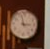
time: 2:57
